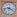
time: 3:43
